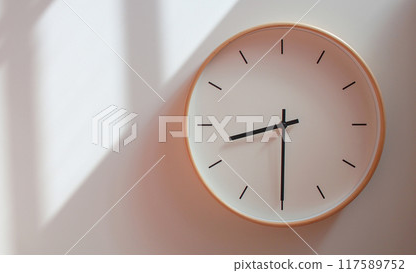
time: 8:30
